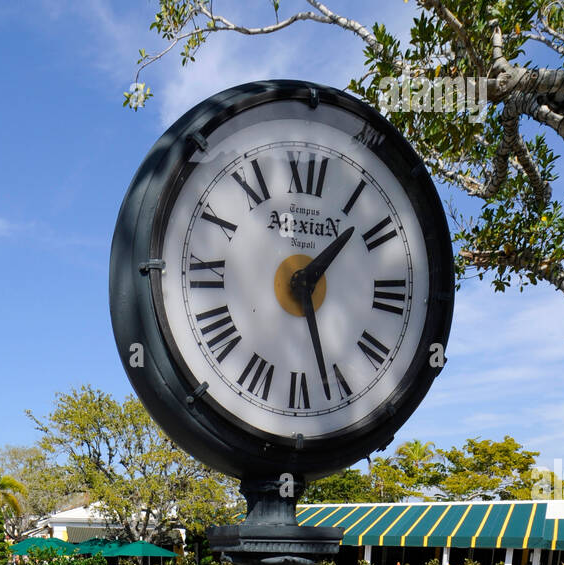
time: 1:26
